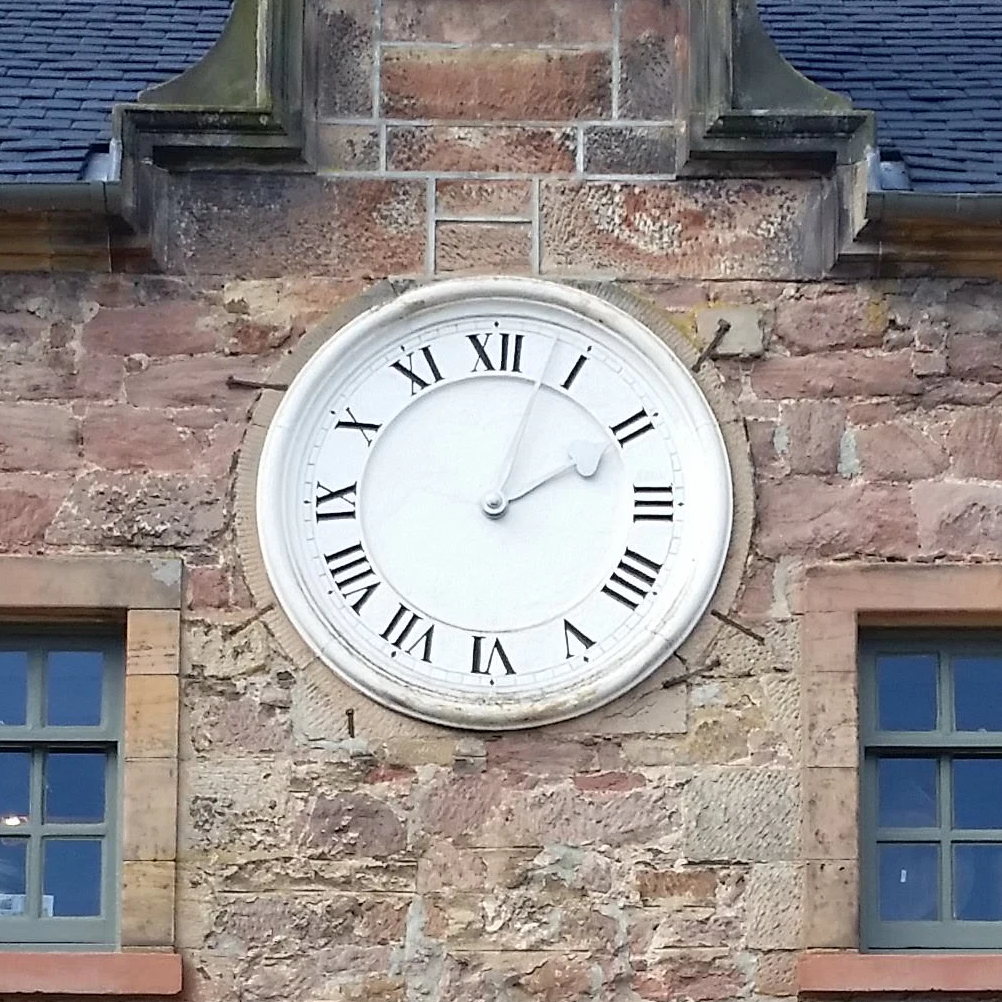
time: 2:03
